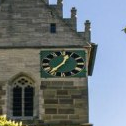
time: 12:36
